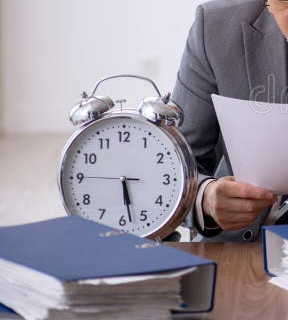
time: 5:28
